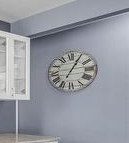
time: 1:05
